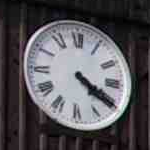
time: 4:20
